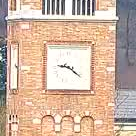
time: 9:21
